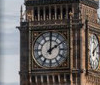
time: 2:00
